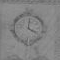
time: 4:01
